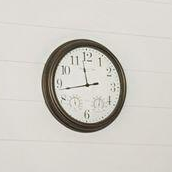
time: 11:42
